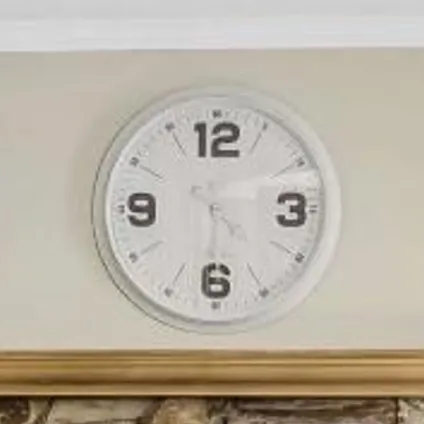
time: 4:31
